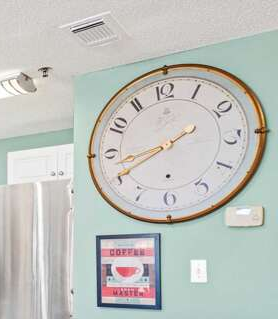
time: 8:40
